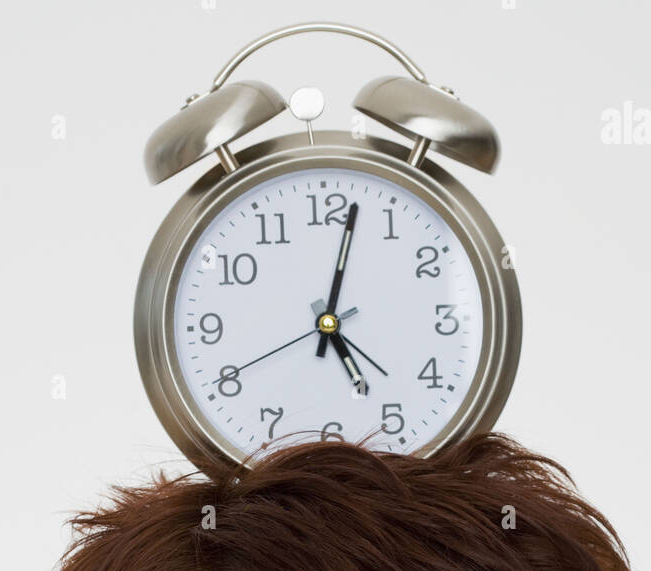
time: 5:02
